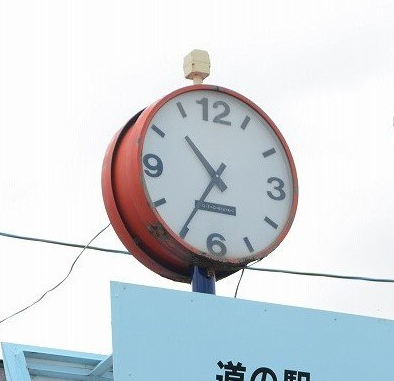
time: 10:35
